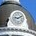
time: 9:10
